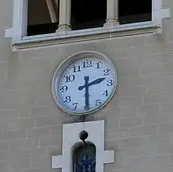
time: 2:29
